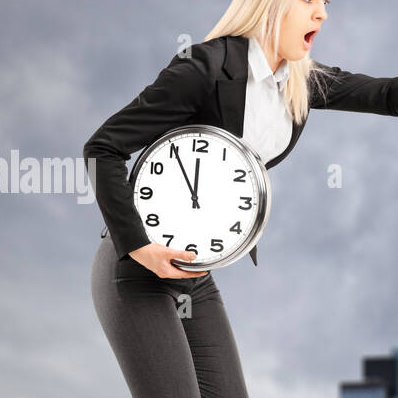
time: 11:55
